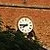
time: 7:44
